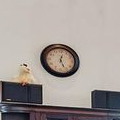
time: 12:26
